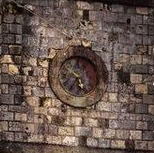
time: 5:51
